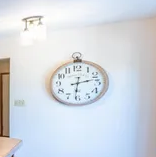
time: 2:31
